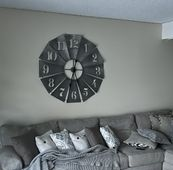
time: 12:32
